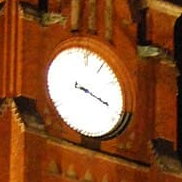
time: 3:17
